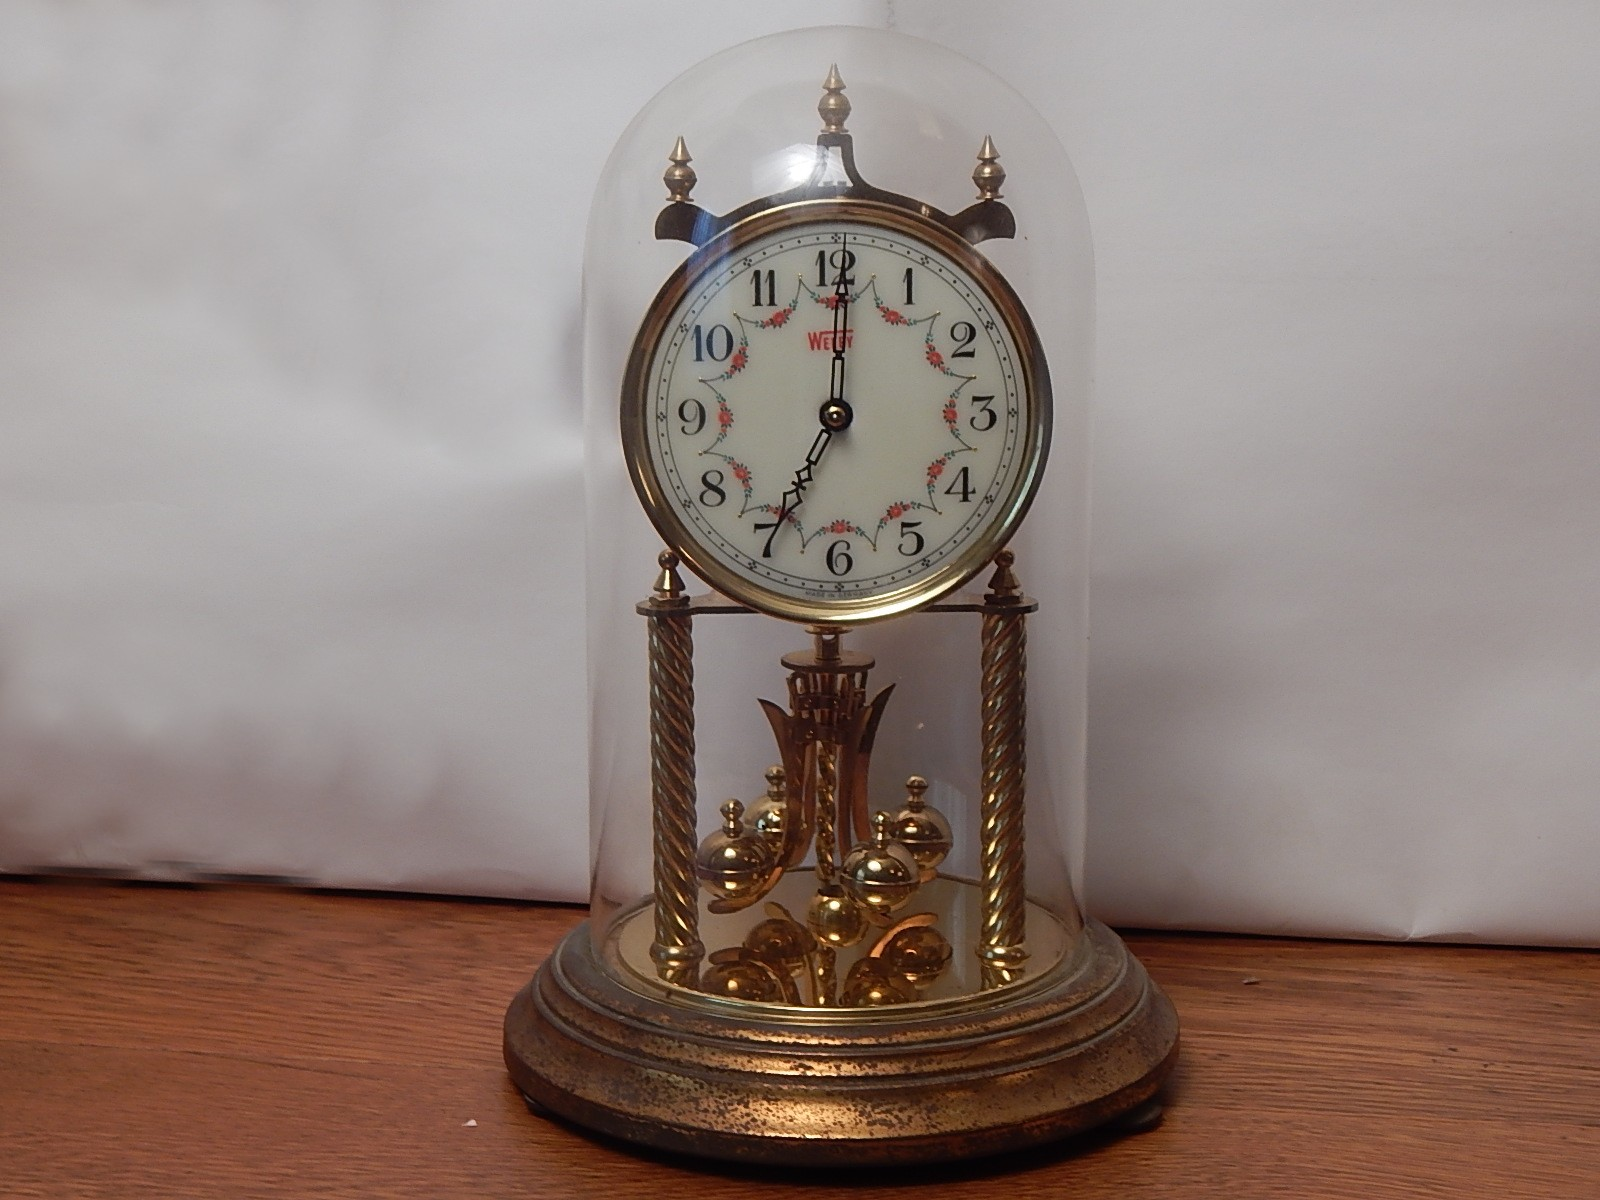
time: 7:00
